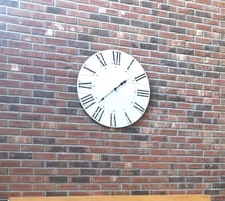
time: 1:37
